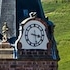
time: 3:28
